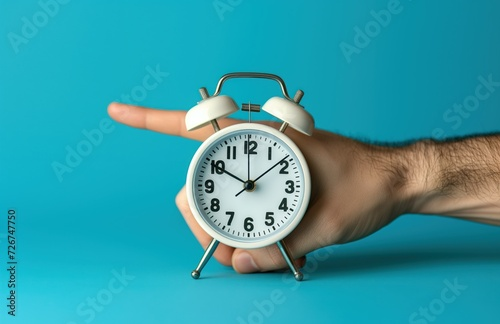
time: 10:08
